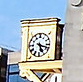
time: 5:18
